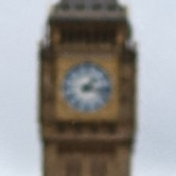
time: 1:16
